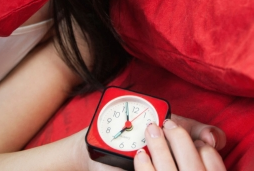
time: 6:56
